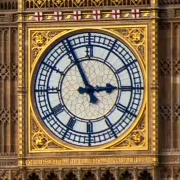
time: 2:55
